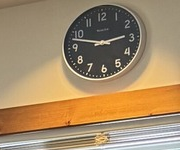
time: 2:47
